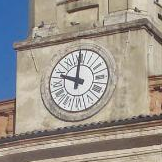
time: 10:00
